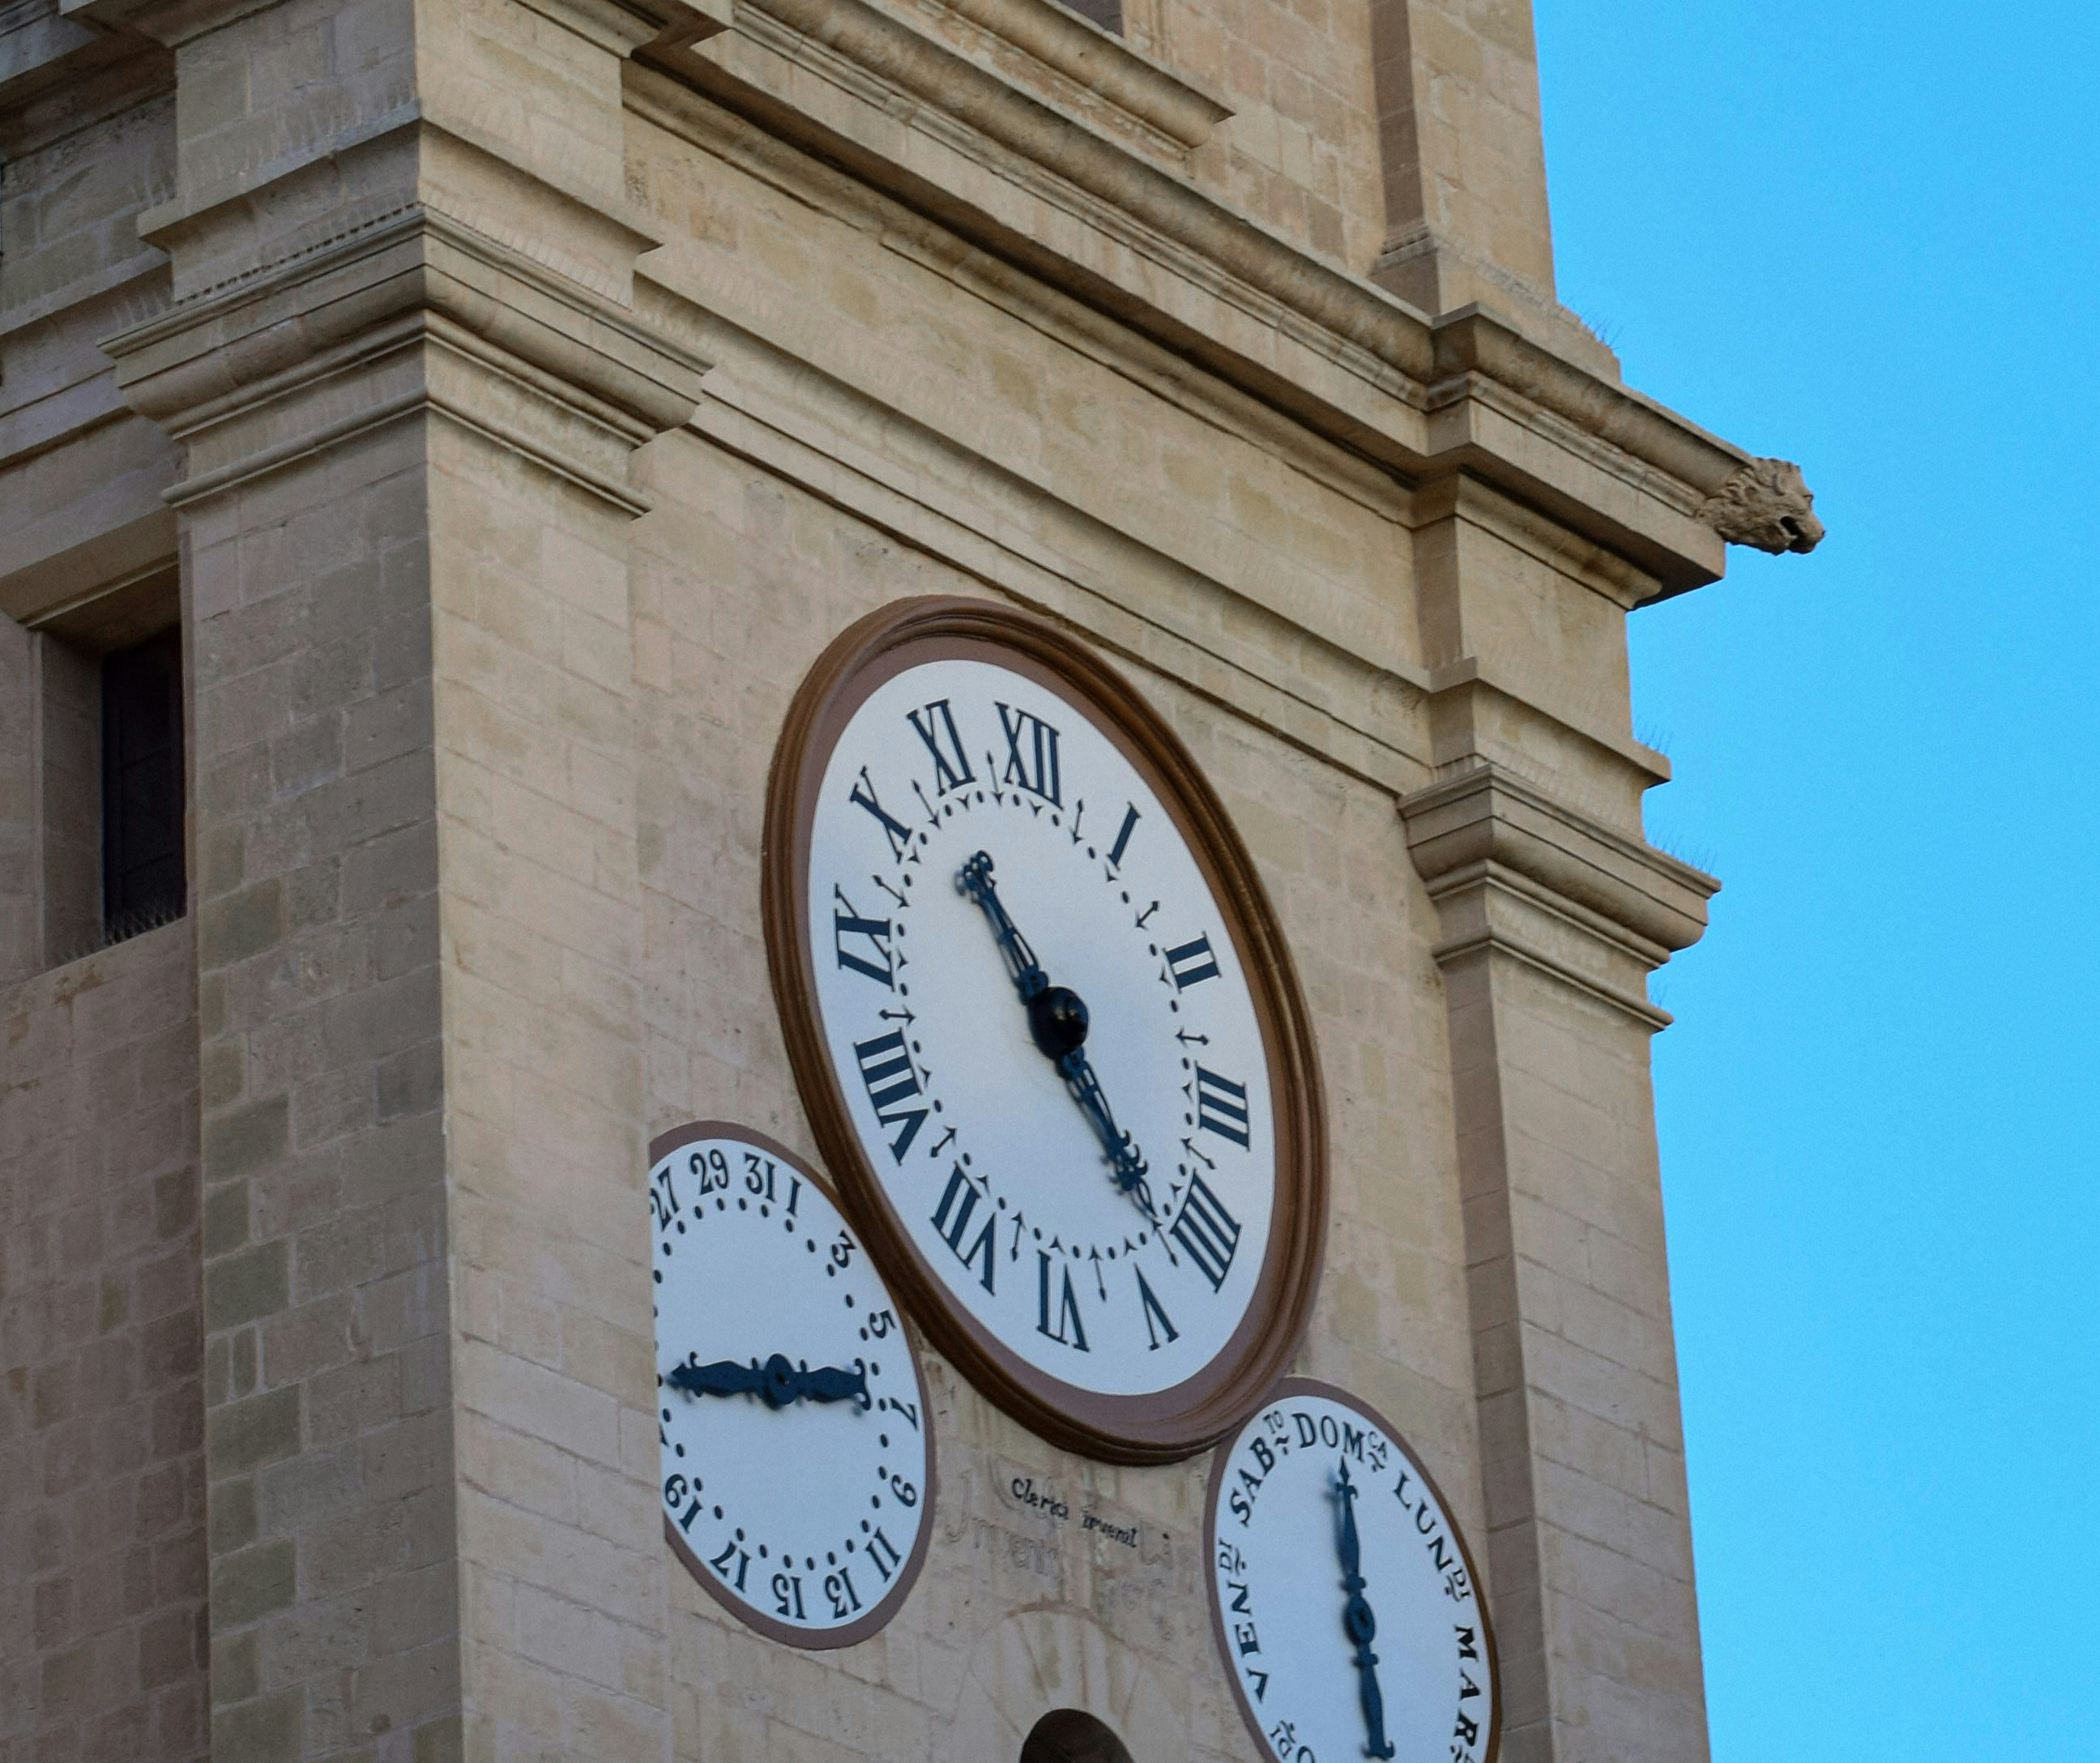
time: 10:21
